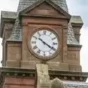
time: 10:20
